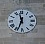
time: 11:33
